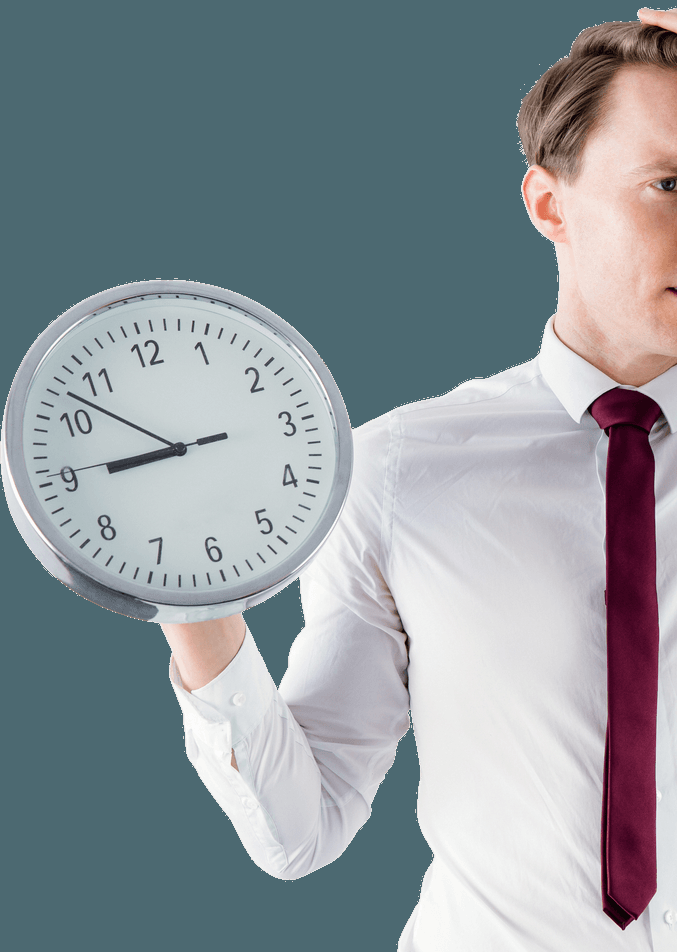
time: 8:52
